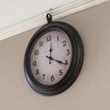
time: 12:20
